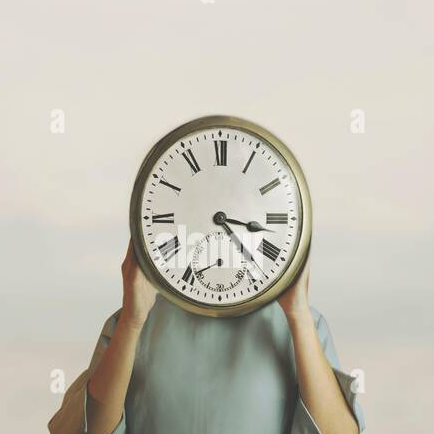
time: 3:22
